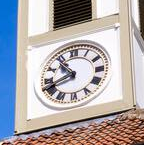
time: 10:41
